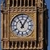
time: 11:05
